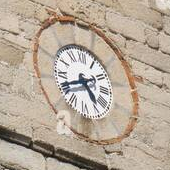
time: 4:40
